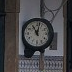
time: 11:02
